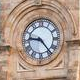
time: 9:23
